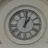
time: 1:01
